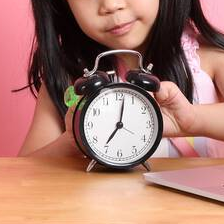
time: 7:02
